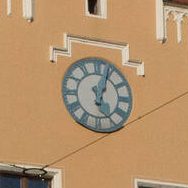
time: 5:03
